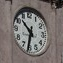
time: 10:32
